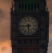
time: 5:43
